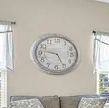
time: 9:25
